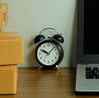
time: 10:07
